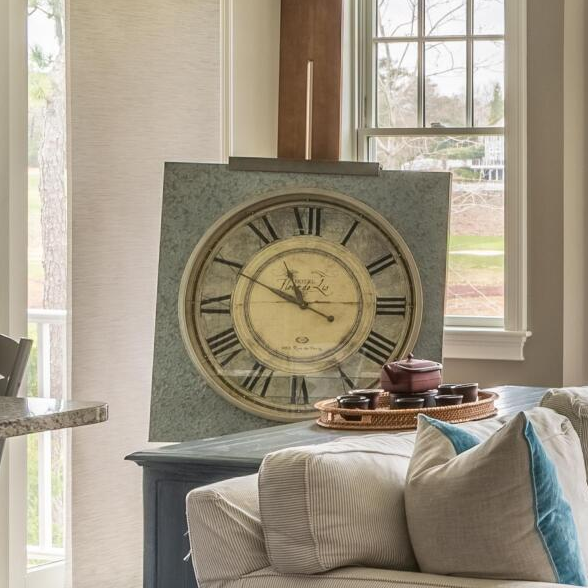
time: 10:49
